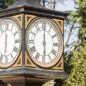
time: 6:00
